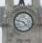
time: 4:46
